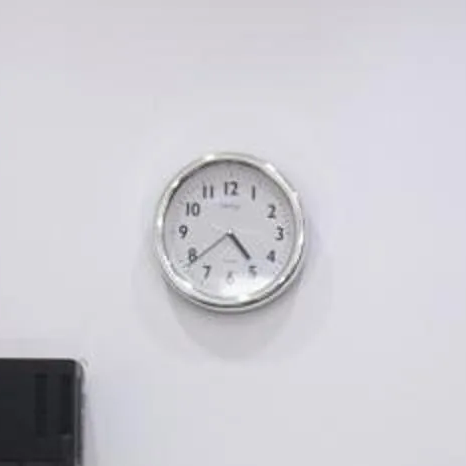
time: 4:38
